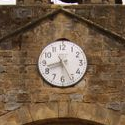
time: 8:25
